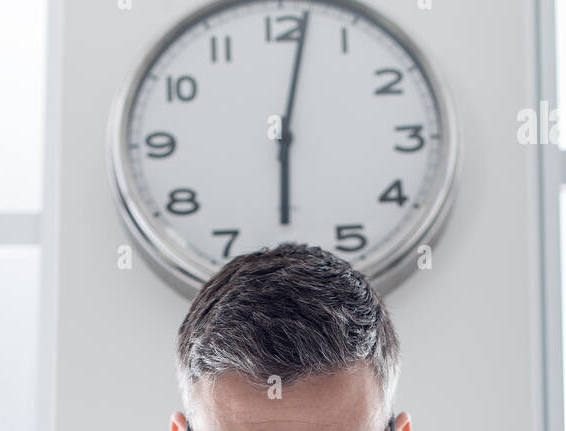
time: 6:01
